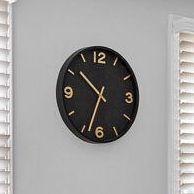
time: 10:33
